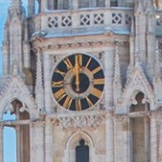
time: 11:59
